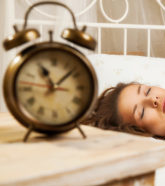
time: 11:07
